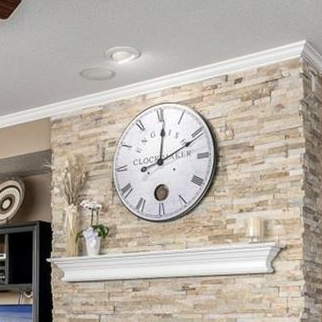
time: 12:11
